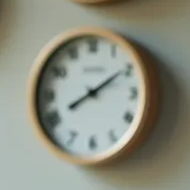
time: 8:09
